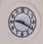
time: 9:20
